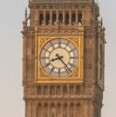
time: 8:23
